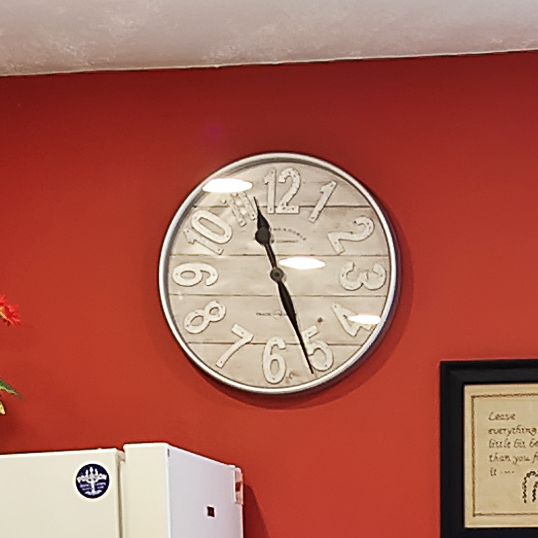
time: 11:26
